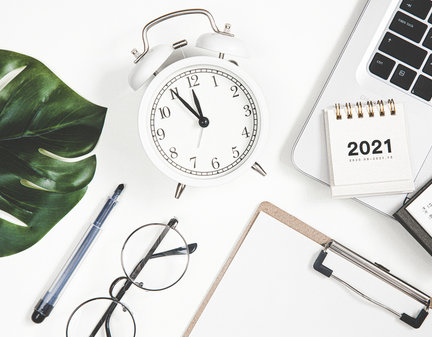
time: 11:55
